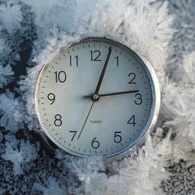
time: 12:13
